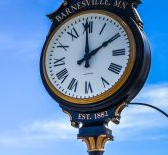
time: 1:59
